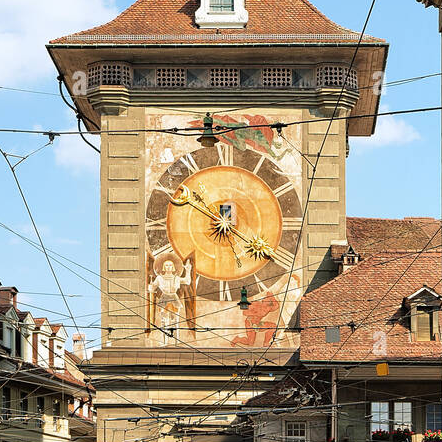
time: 10:20
